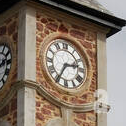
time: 2:35
